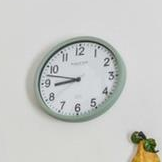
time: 8:47
